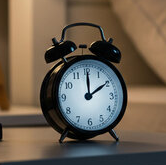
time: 2:00
